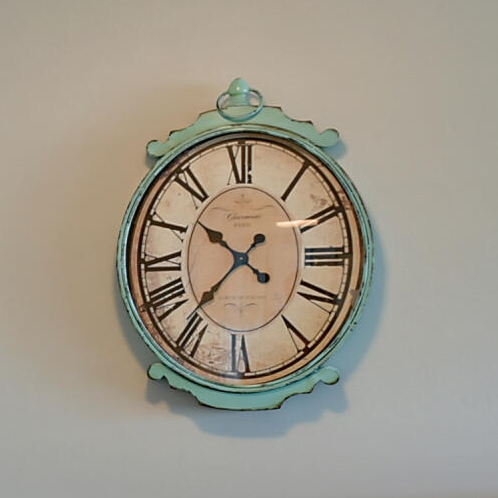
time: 10:36
